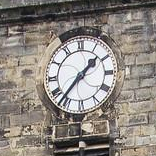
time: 1:36
